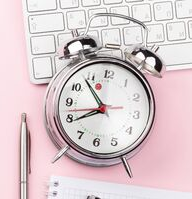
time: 7:53
